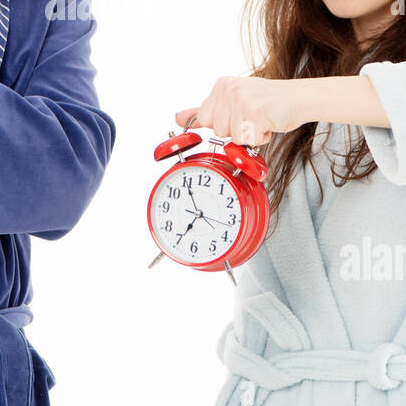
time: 6:54
